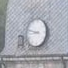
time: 8:47
